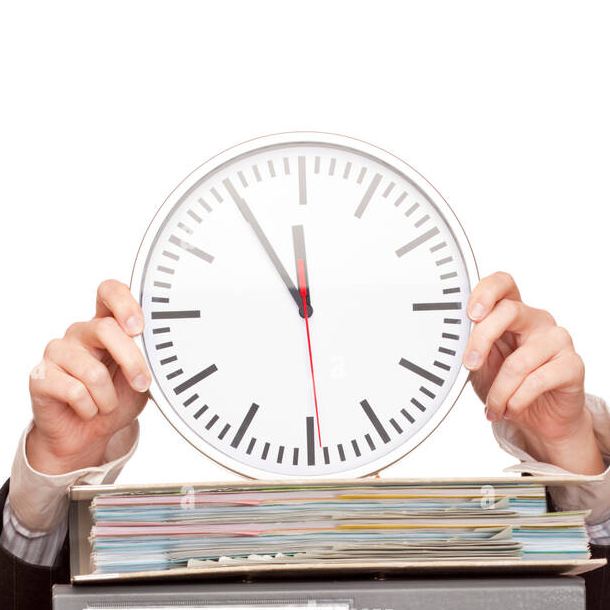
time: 11:55
